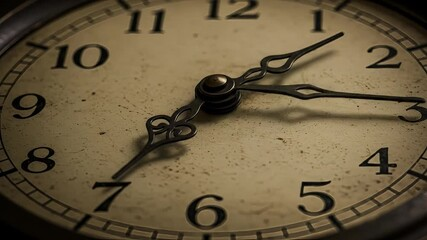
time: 7:15
